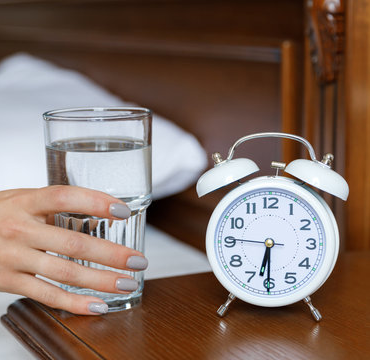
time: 6:30
